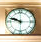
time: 9:47
